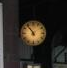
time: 10:53
